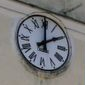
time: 1:59
